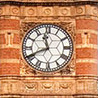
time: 11:41
